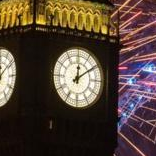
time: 12:09
